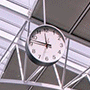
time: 11:47
